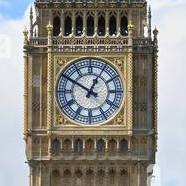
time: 12:50
